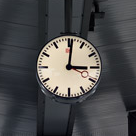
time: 3:01
